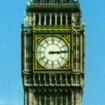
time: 3:13
